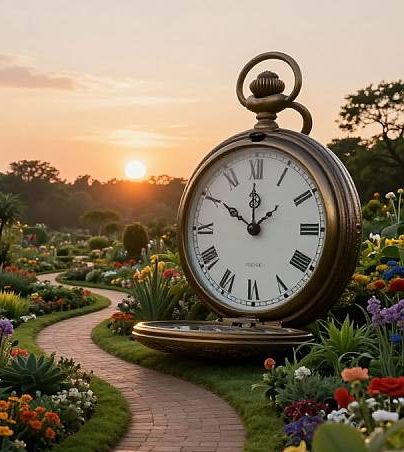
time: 11:50
